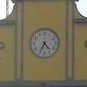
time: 4:34
